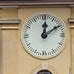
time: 12:09
